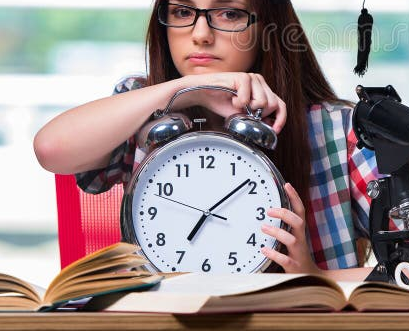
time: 7:08
